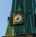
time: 7:32
